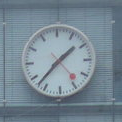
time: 1:37
